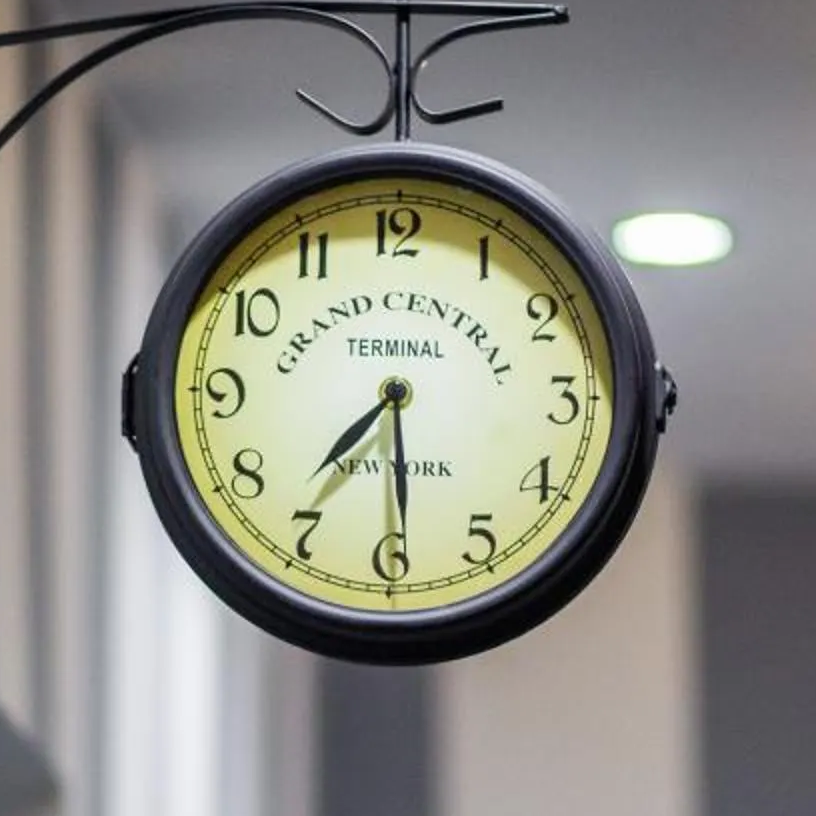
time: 7:29
